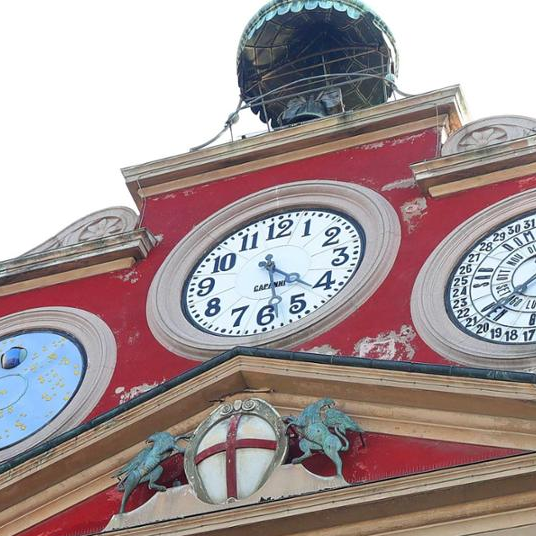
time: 4:28
